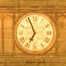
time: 6:56
